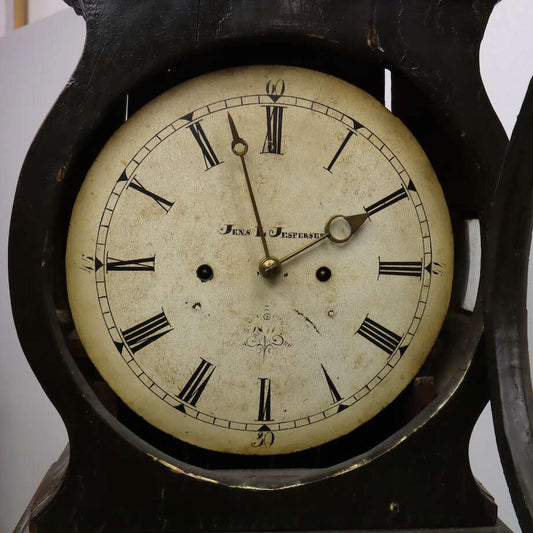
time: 1:57
